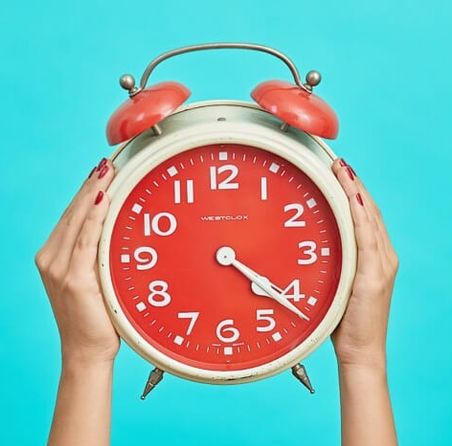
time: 4:21
